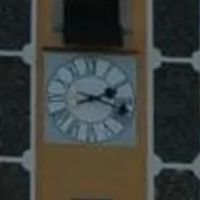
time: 2:18
